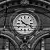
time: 10:18
